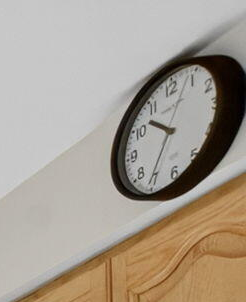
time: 10:35
